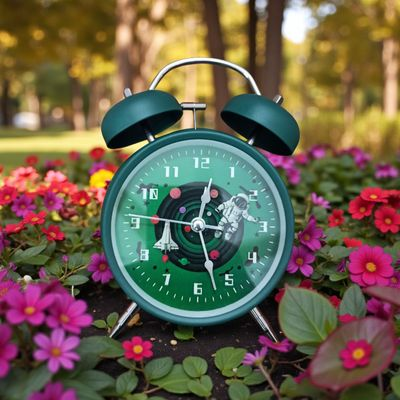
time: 12:27
